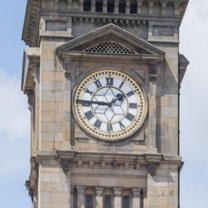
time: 1:45
